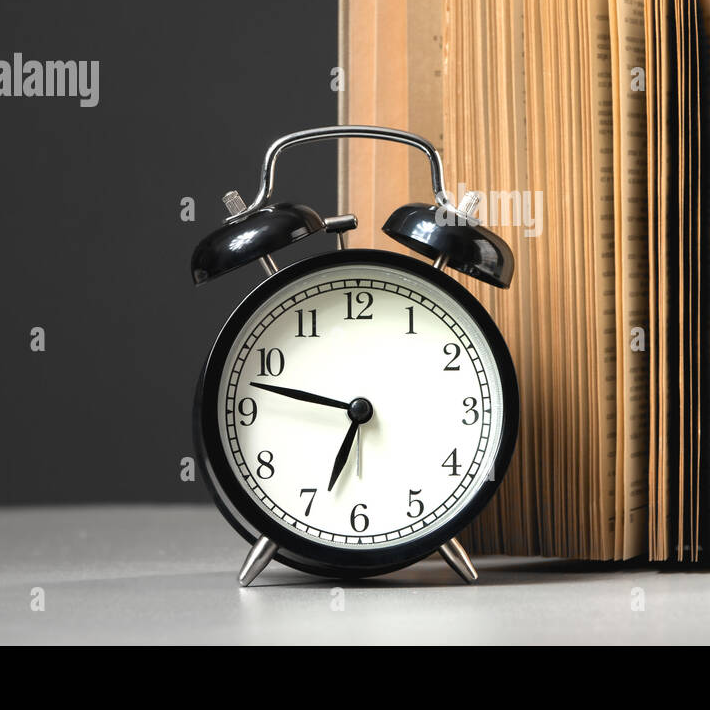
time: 6:47
